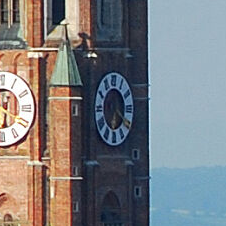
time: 6:20
